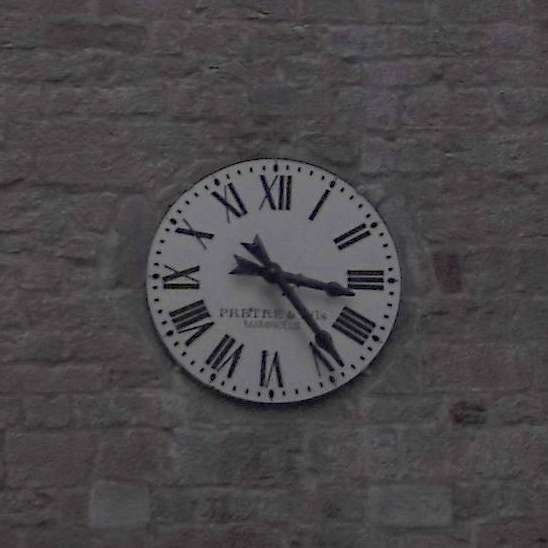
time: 3:23
